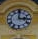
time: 3:00
